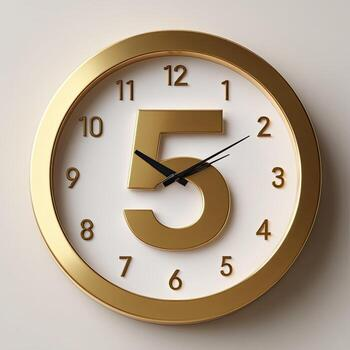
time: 1:50
